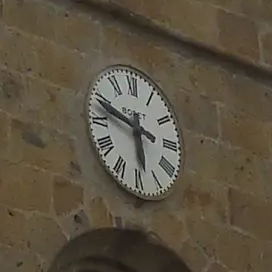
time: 5:48
